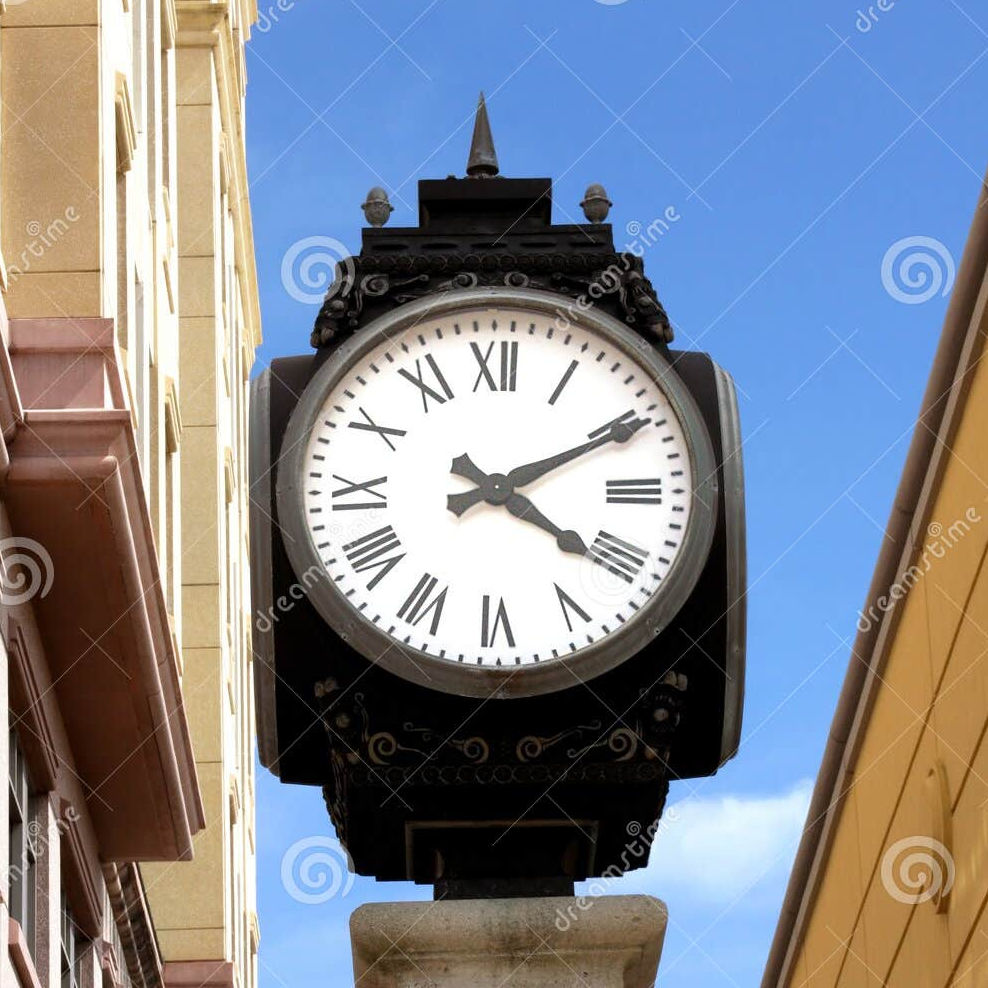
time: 4:10
